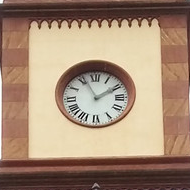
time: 1:56
